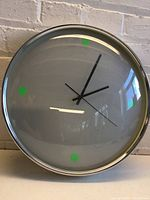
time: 2:03
